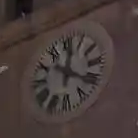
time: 12:20
